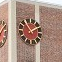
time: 1:54
